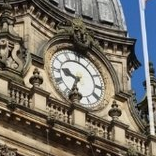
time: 9:33
